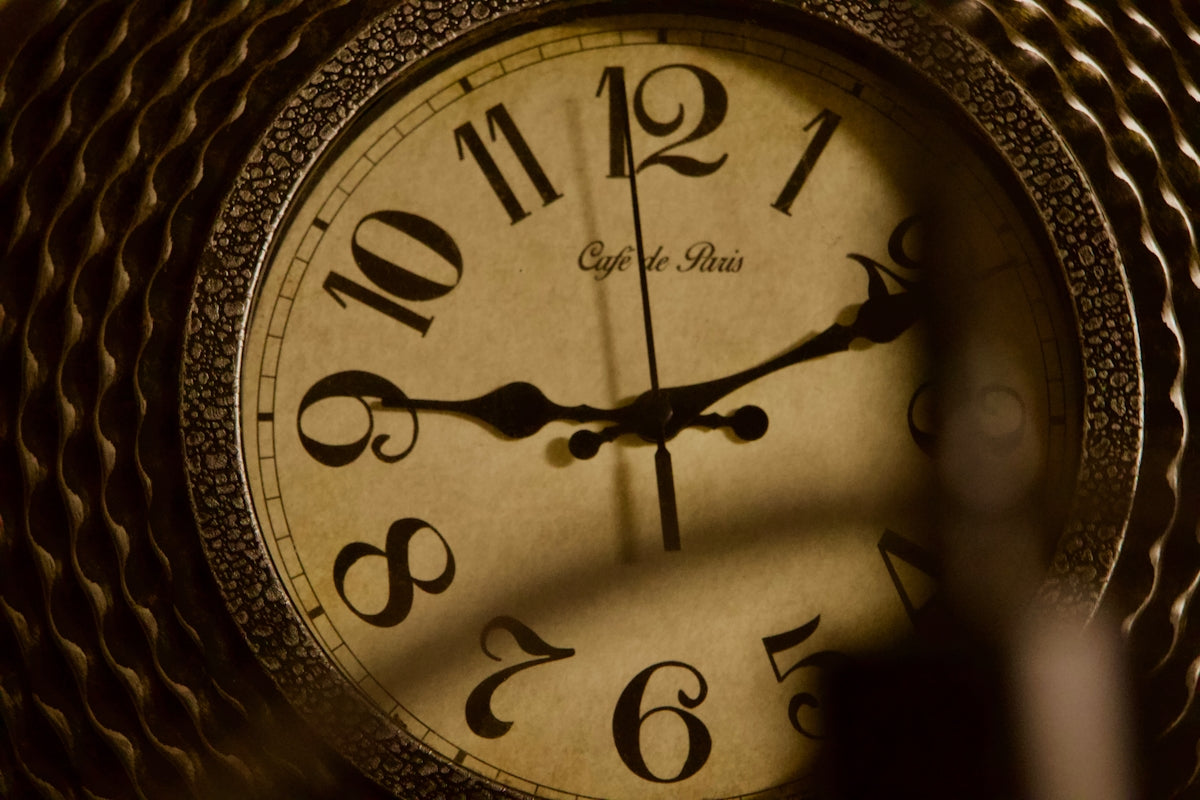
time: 9:10
